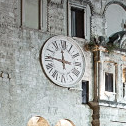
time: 11:46
